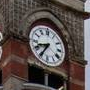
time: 8:35
